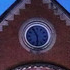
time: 5:55
